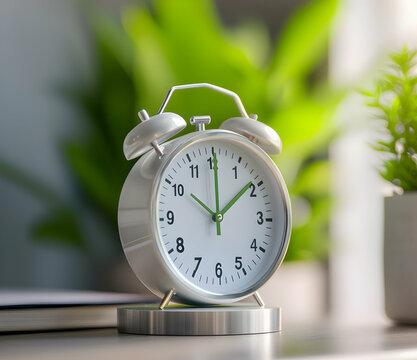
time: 10:08
